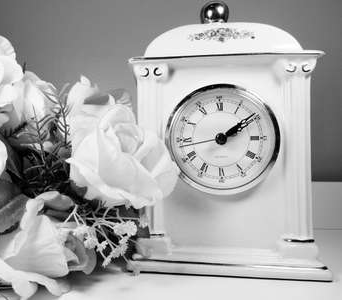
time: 2:09
